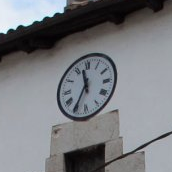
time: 11:35
